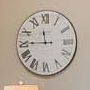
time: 11:45
